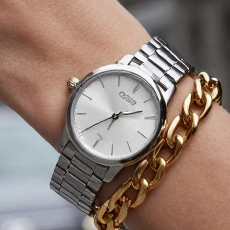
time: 2:40
